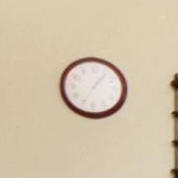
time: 1:06
